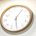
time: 6:06
